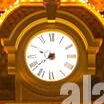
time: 9:38
